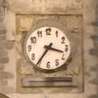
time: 3:35
